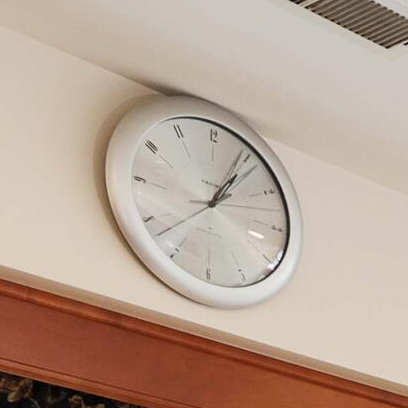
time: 1:04
